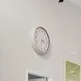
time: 3:32
